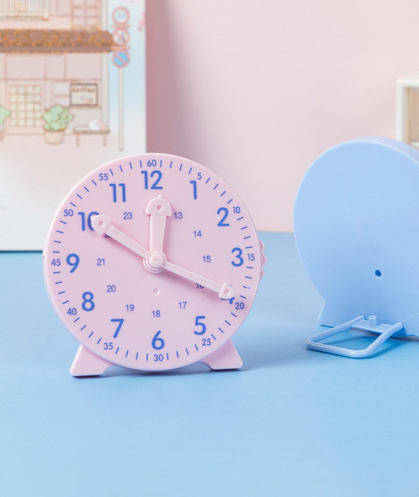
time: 12:19
